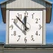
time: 11:53
